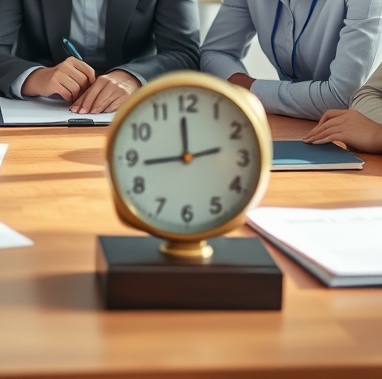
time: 11:43
